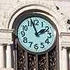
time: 1:57
